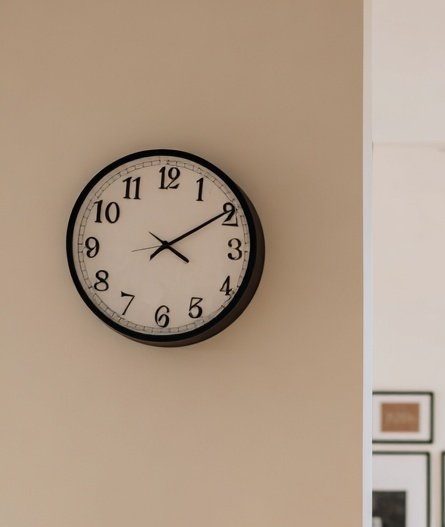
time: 4:09
